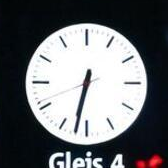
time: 6:32
